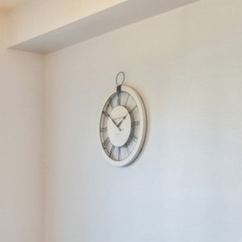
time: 1:50
